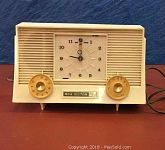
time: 9:00
